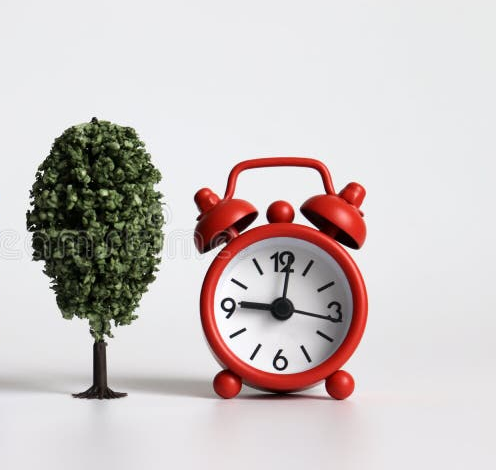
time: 9:01
